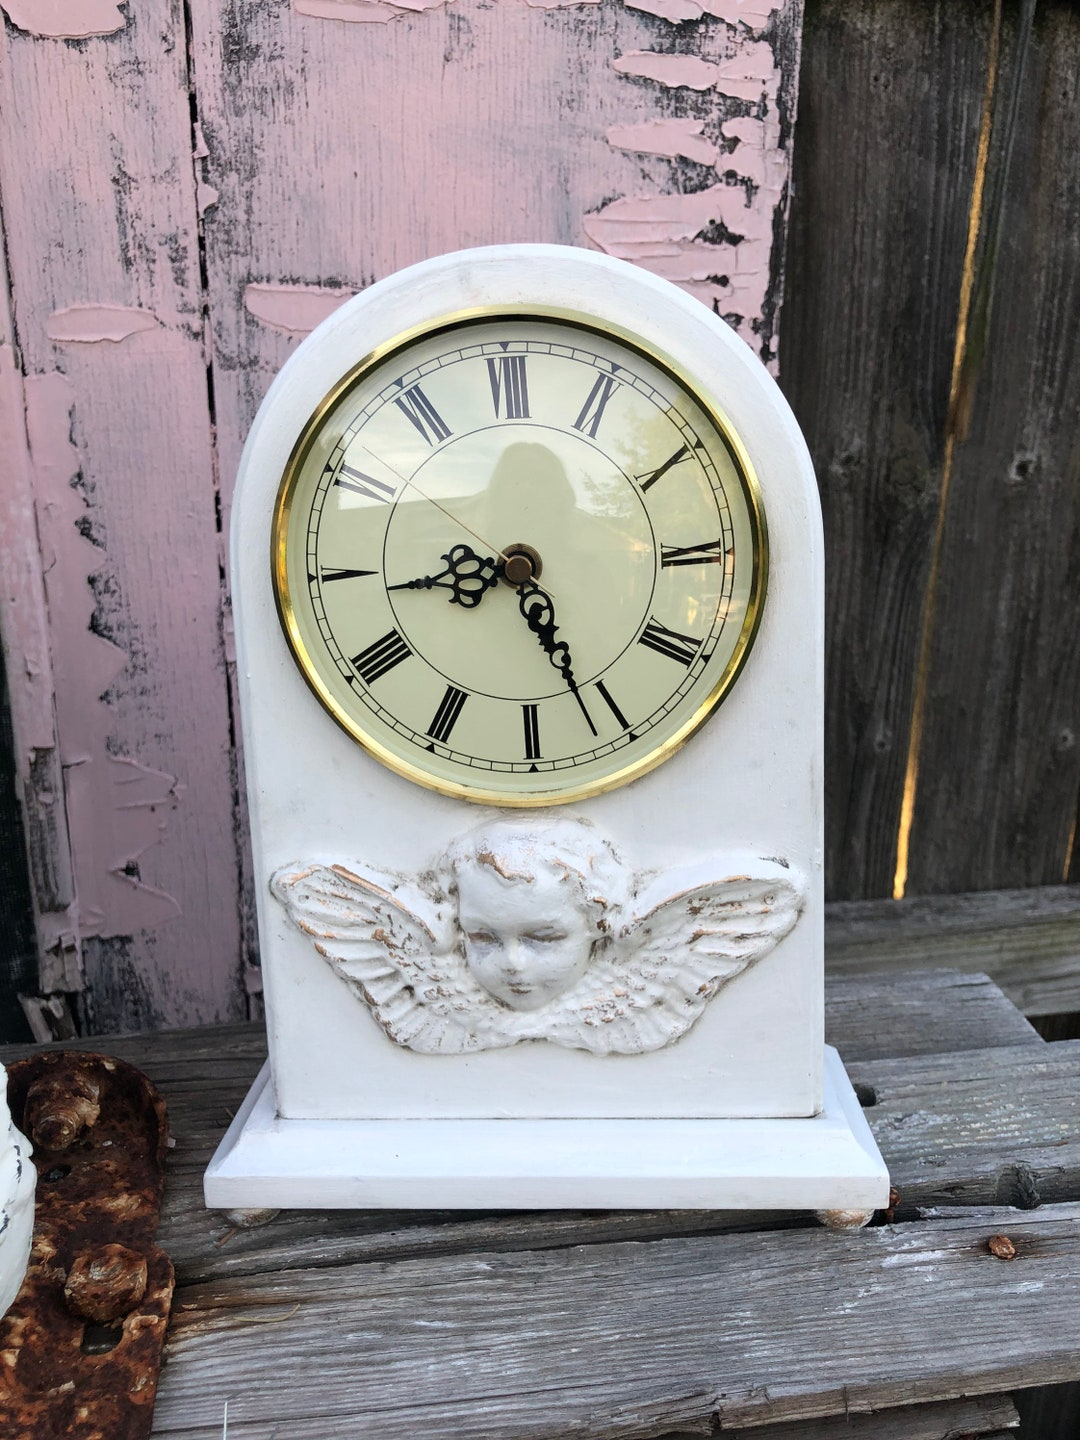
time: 8:26
